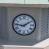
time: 9:09
